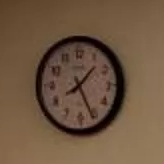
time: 1:25
